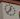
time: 12:37
